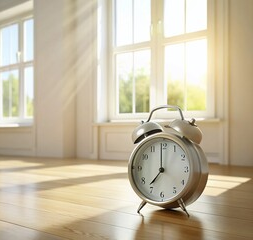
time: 6:59
